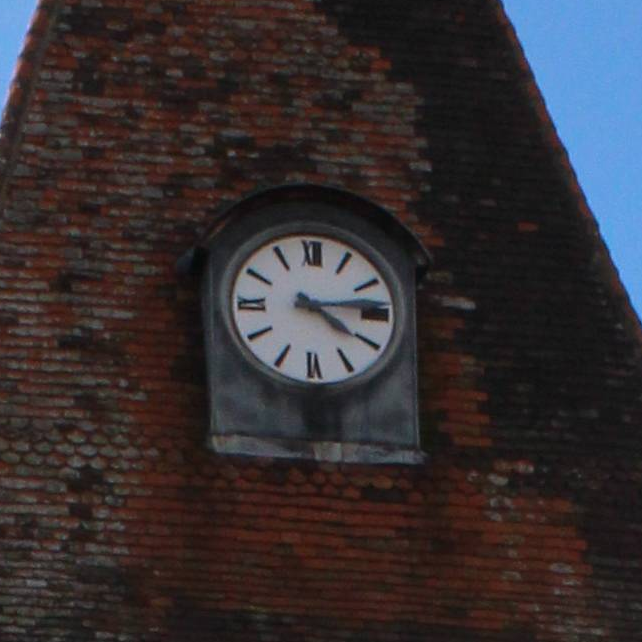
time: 4:13
